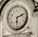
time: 6:11
